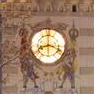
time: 8:18
